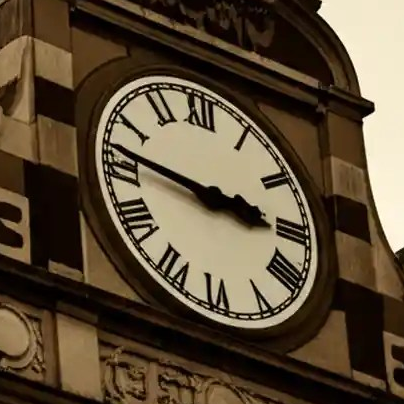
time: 2:46
